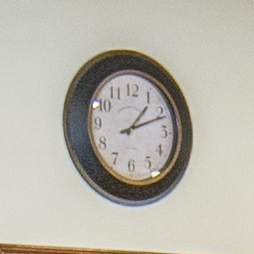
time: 1:11
